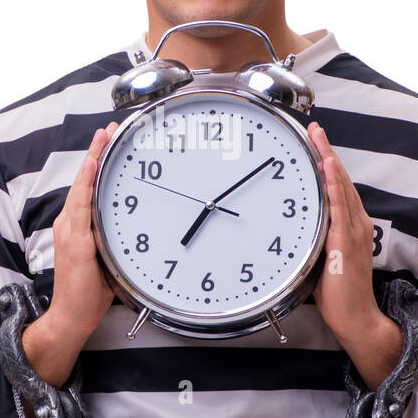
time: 7:08
